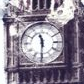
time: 11:30
